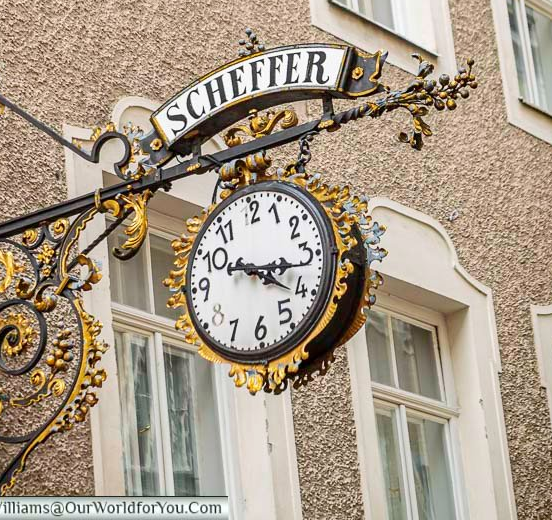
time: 4:16
